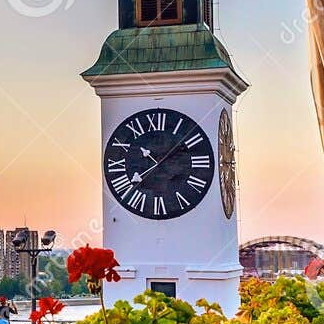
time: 10:39
